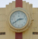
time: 2:39
